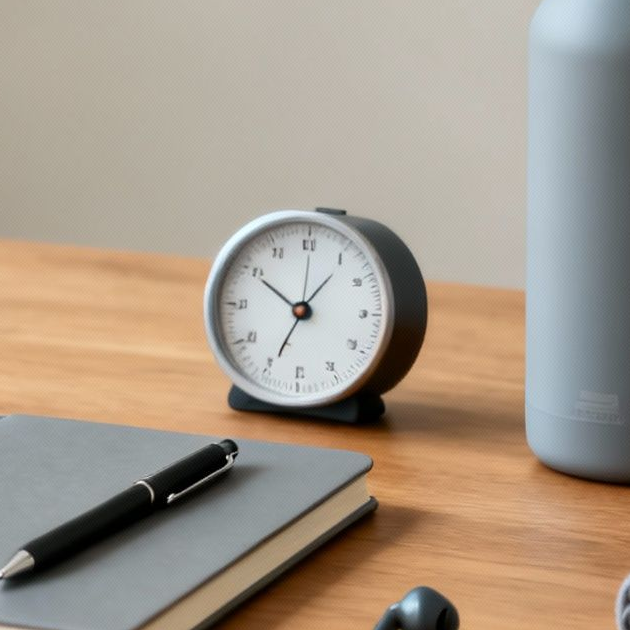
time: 6:50
